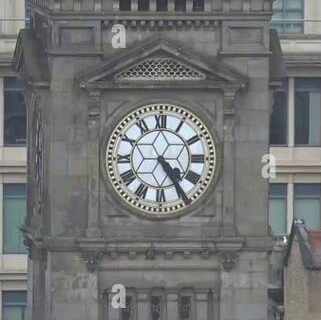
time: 4:24
